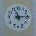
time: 11:13
